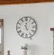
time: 5:01
